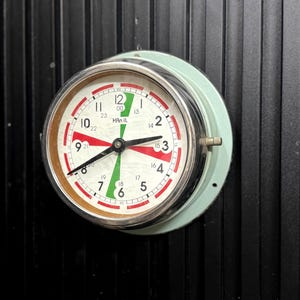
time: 2:40
